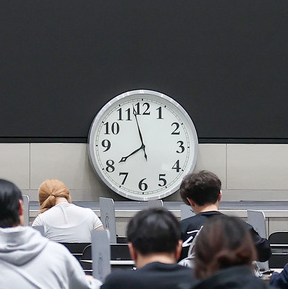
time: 7:57
